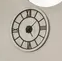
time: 5:08
